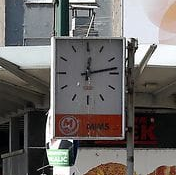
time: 12:13
